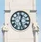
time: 12:26
